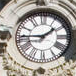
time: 1:45
